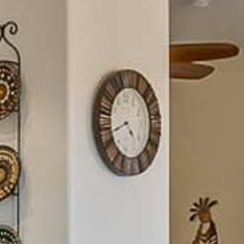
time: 4:42
